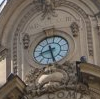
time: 8:26
